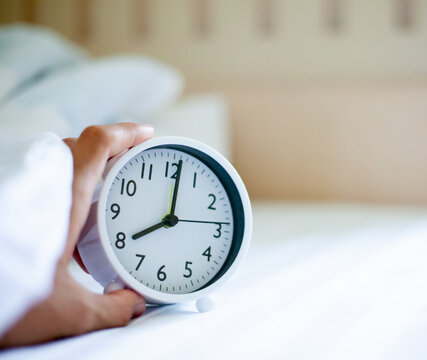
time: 8:01
